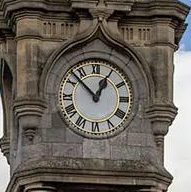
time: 12:52
